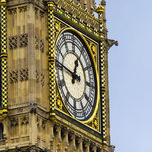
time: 12:46
